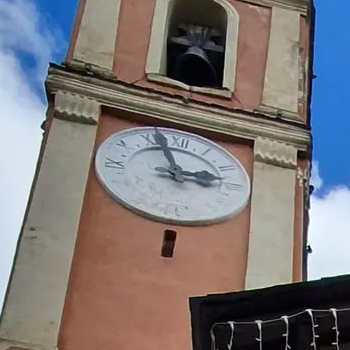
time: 2:57
